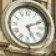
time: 5:11
